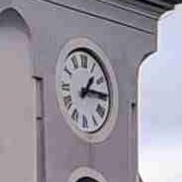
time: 1:14
